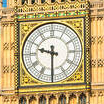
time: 9:30
